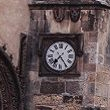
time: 7:24
